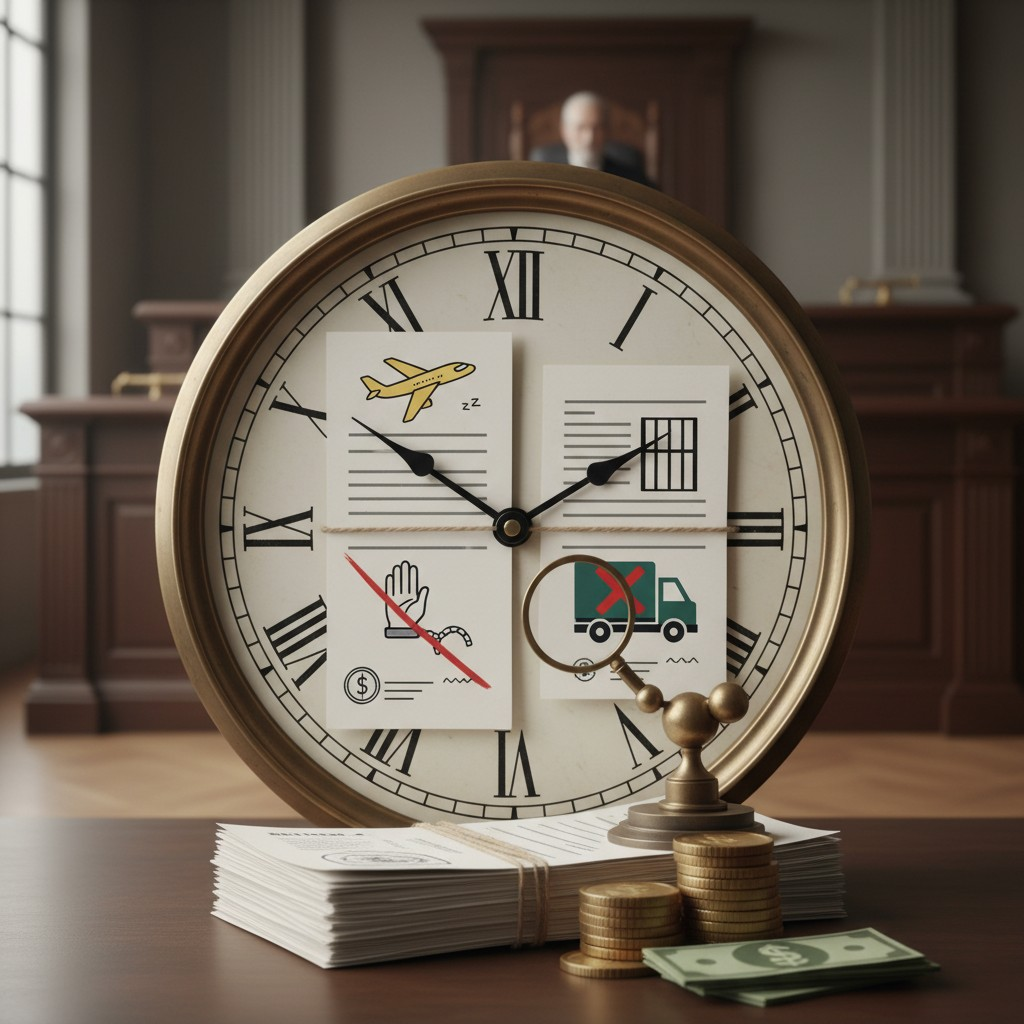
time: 1:50
